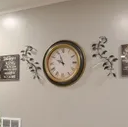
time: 9:56
